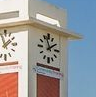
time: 1:56
